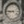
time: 8:45
